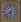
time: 5:38
